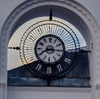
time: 8:15
